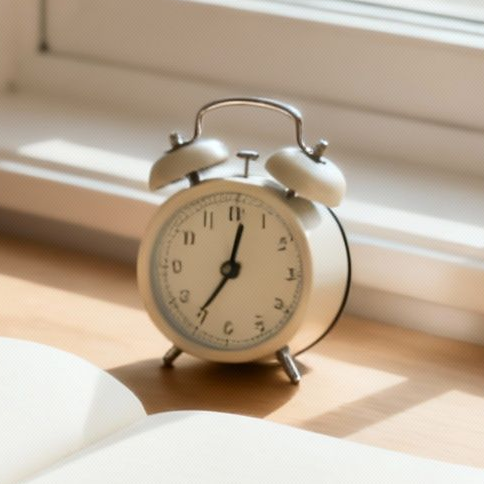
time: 7:01
